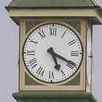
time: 5:19
